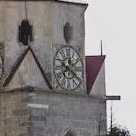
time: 12:20
